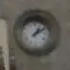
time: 1:09
